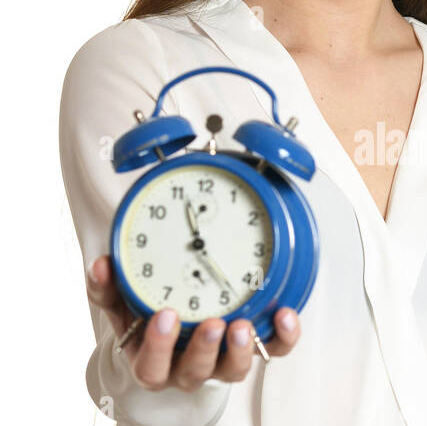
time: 11:23
